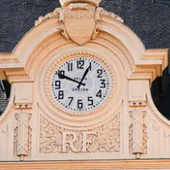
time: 12:49
